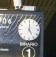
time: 5:00
